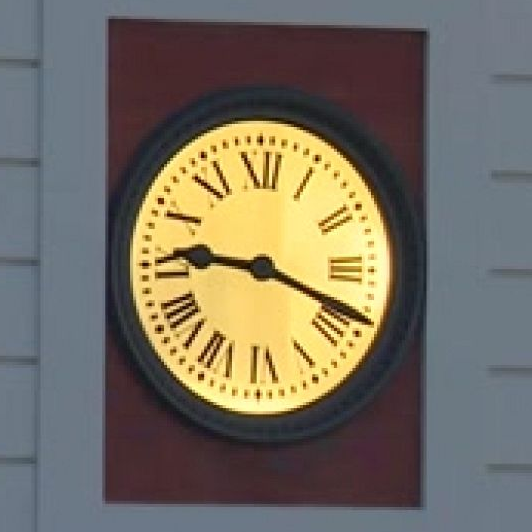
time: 9:18
